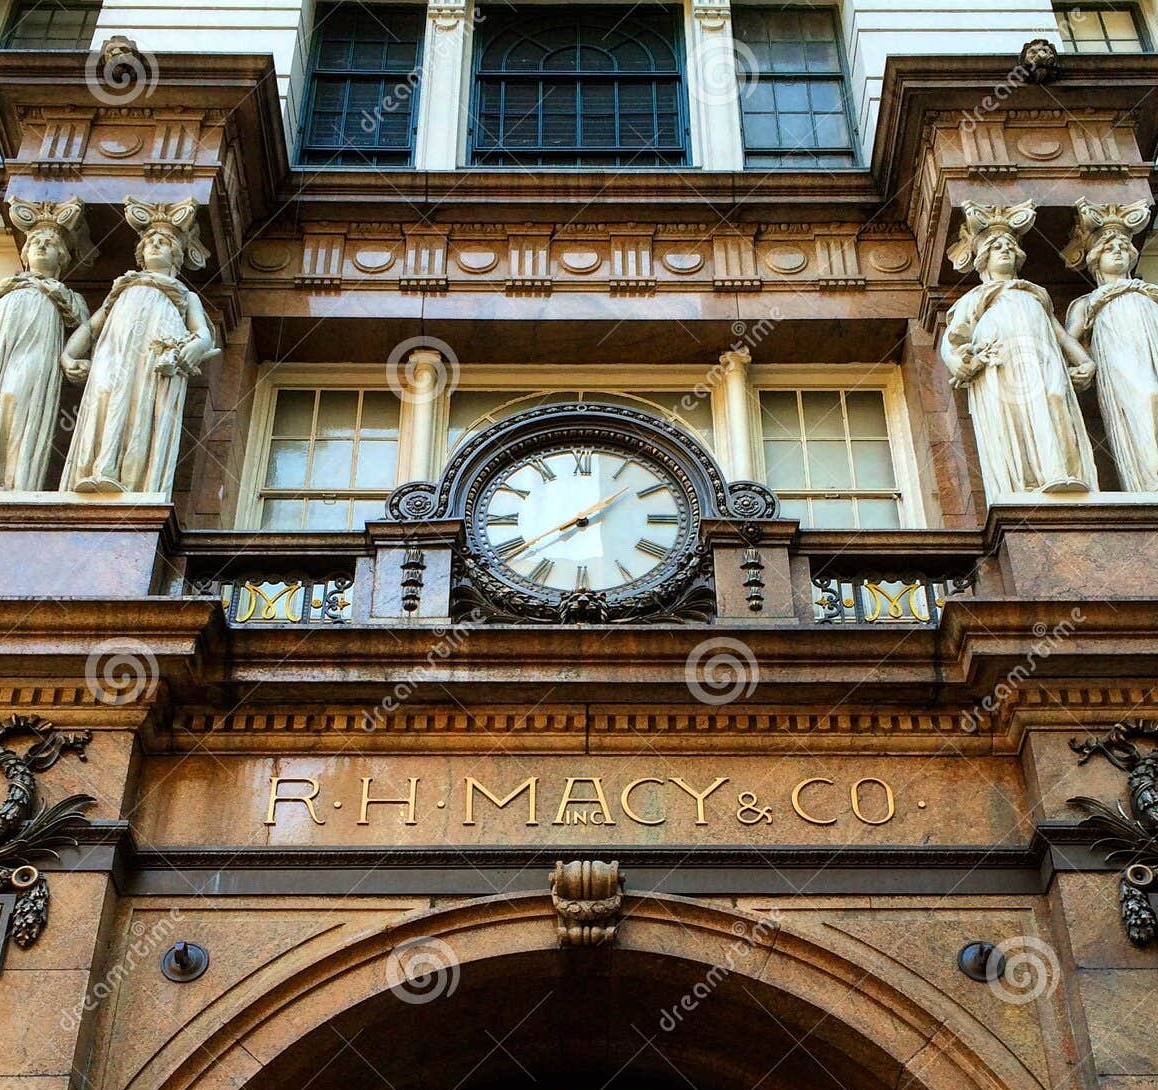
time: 1:39
